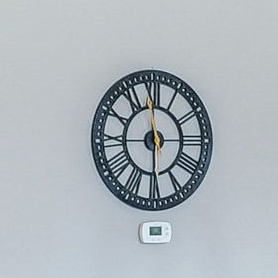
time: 5:59
